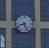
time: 8:26
